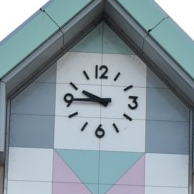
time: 9:44
